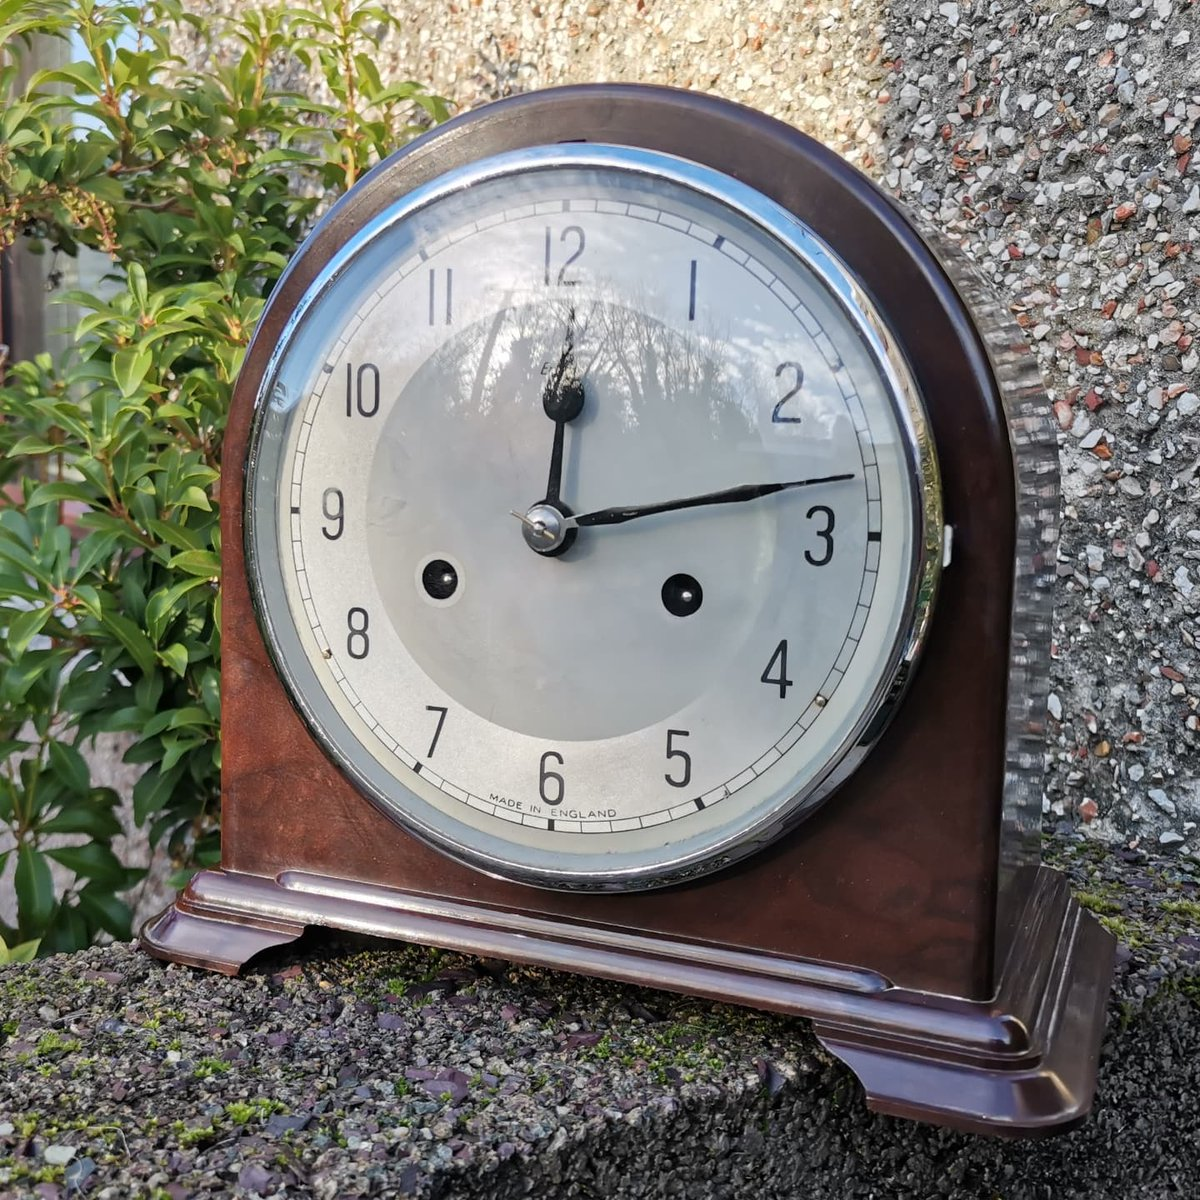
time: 12:13
